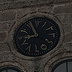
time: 8:56
